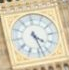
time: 4:27
